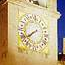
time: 7:39
